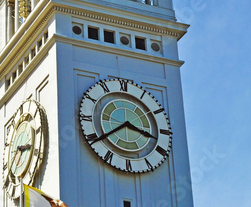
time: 3:39
